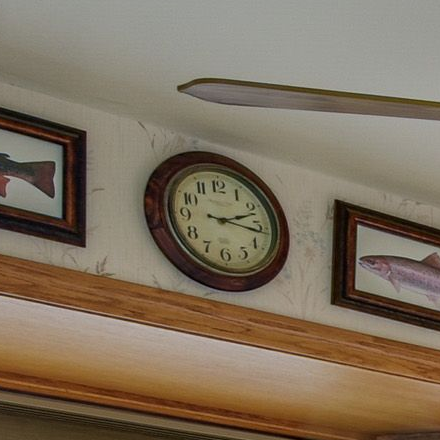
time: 2:16
